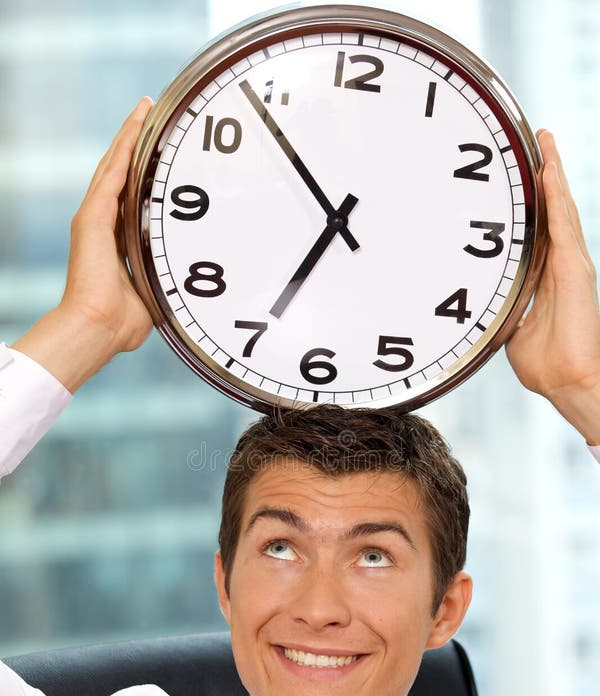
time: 6:53
